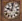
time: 10:02
